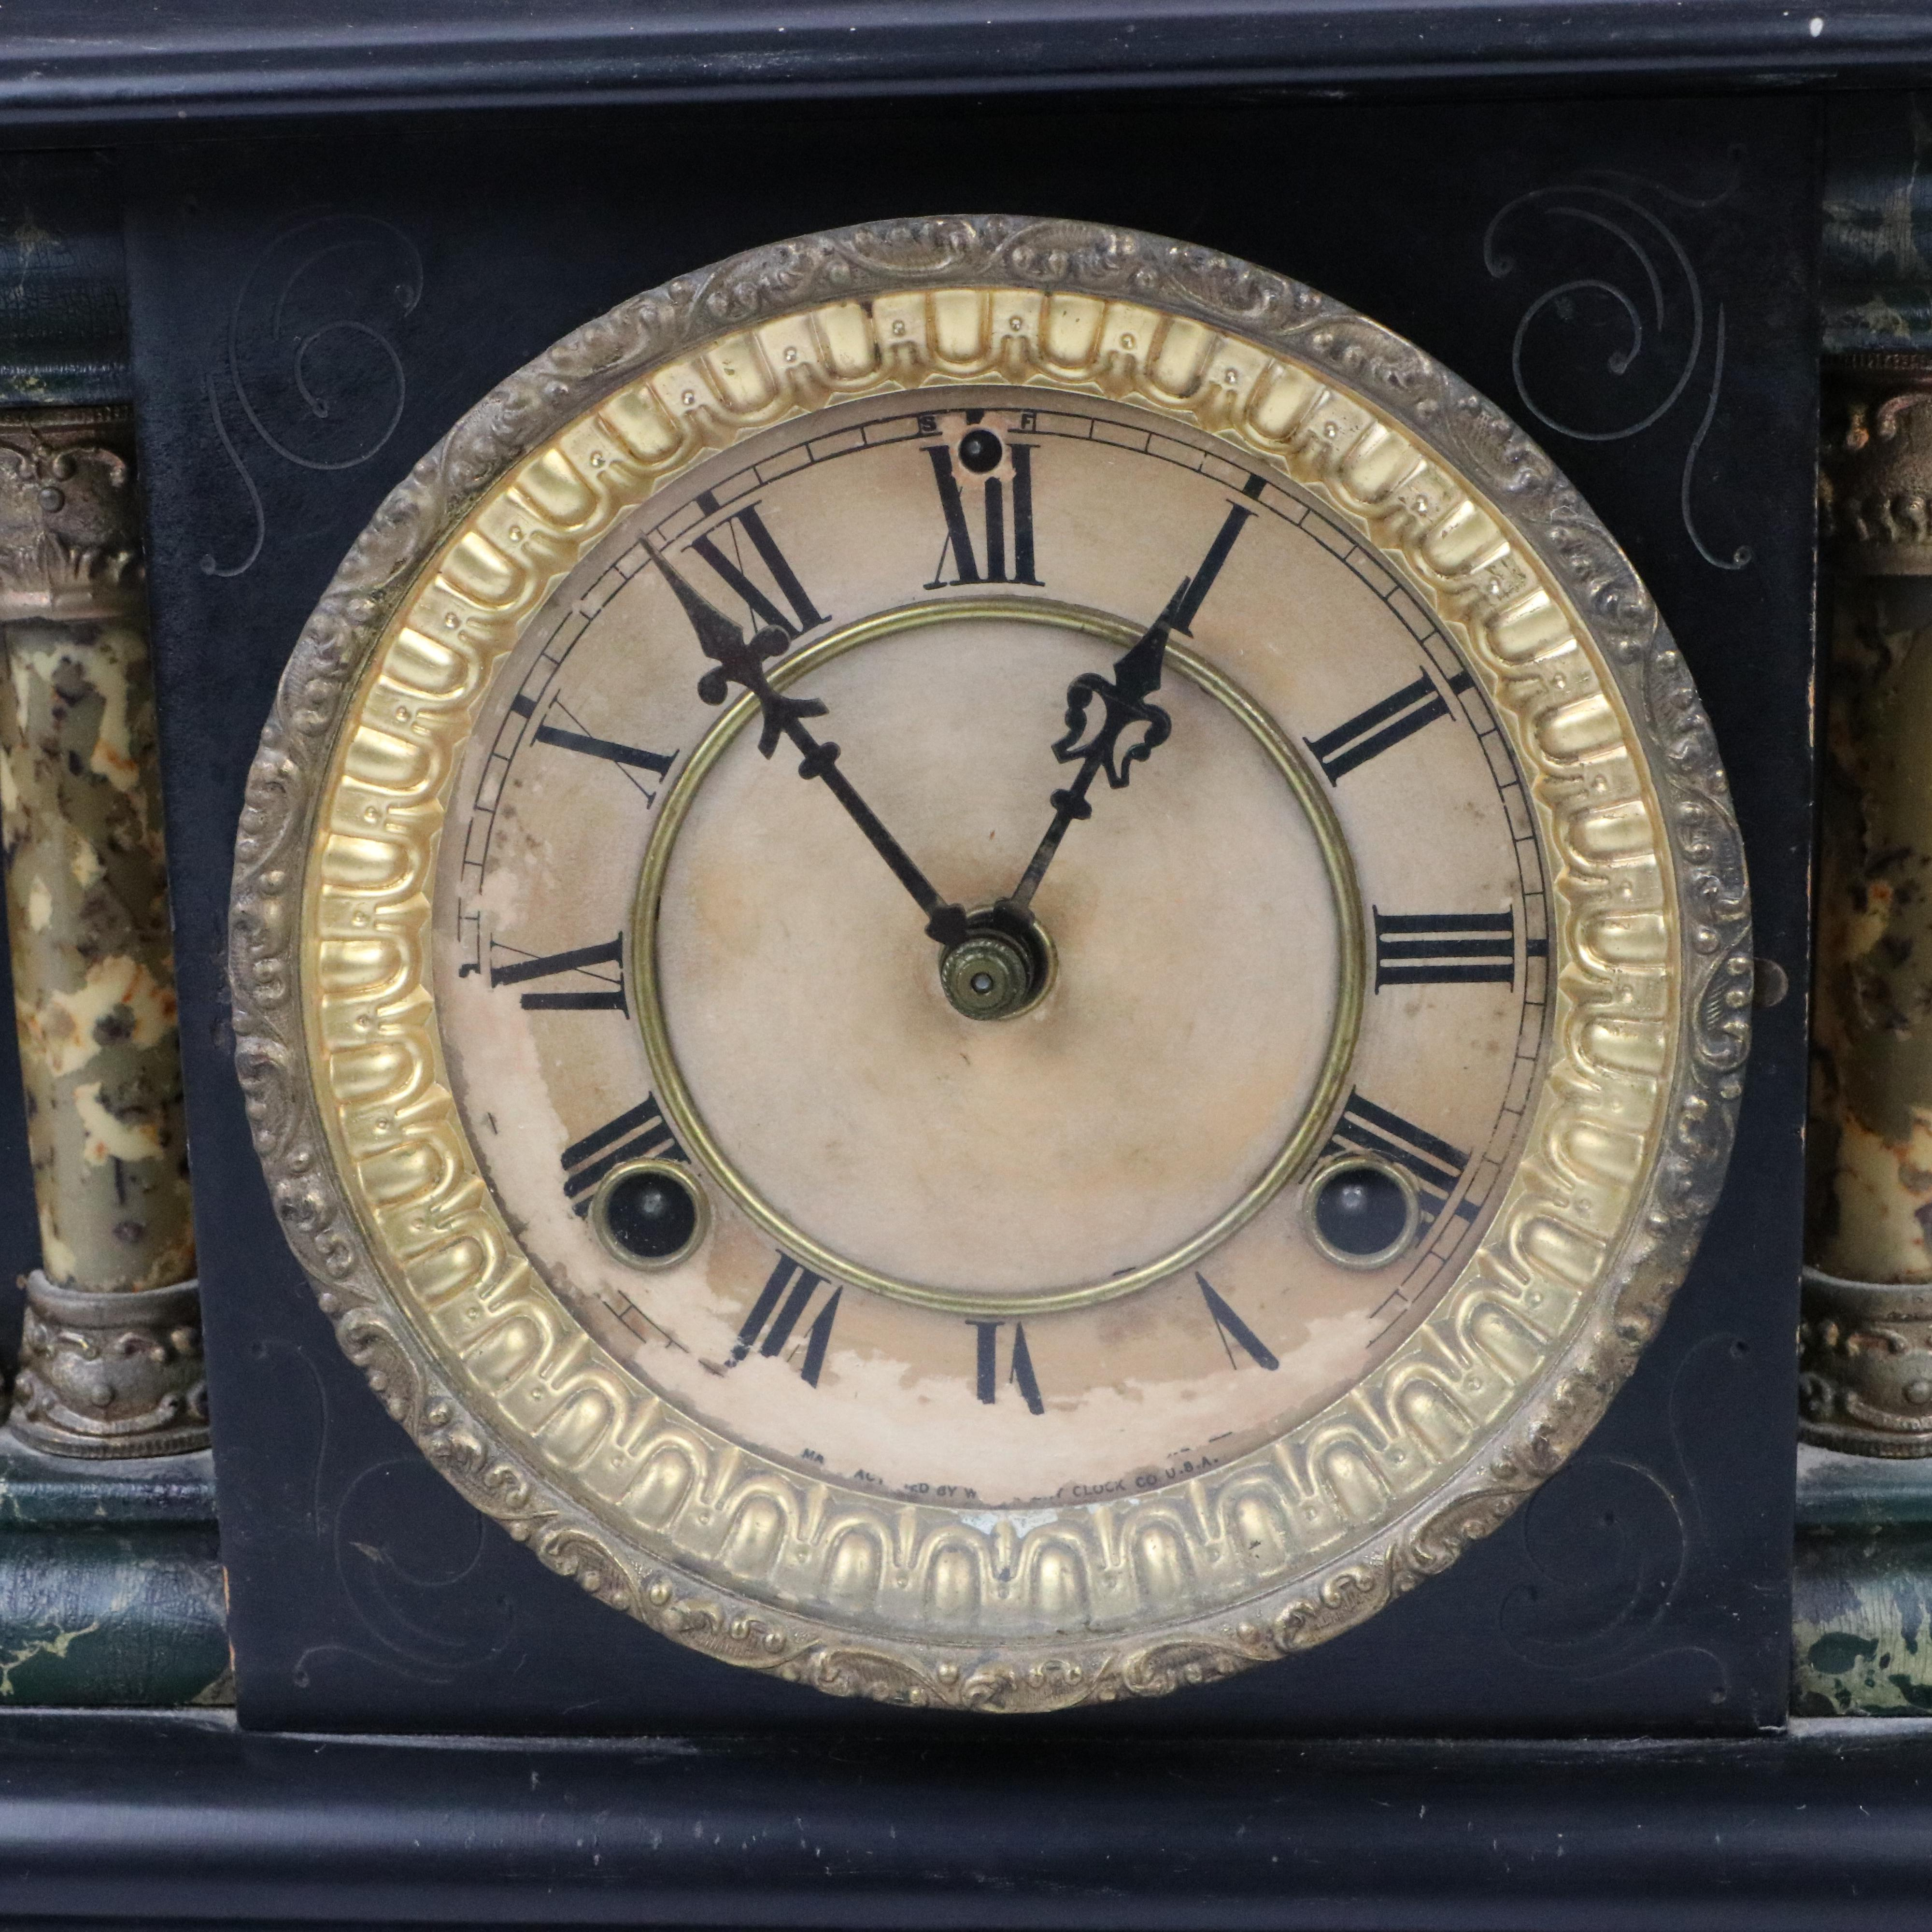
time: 12:53
